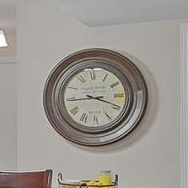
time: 3:44
